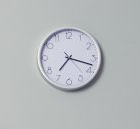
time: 7:17
